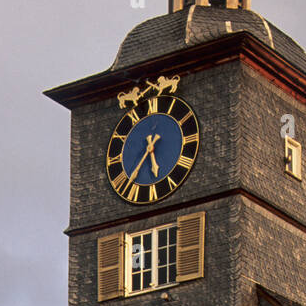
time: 5:36
